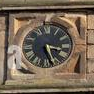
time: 3:27
